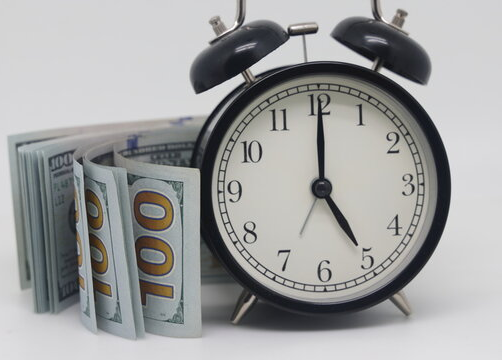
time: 5:00
